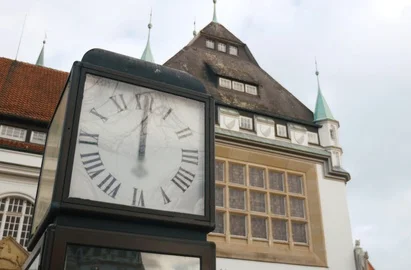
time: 6:00
